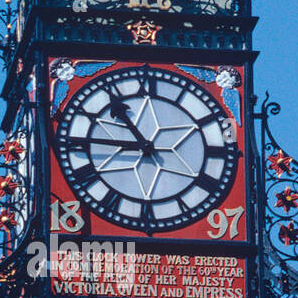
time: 10:45
